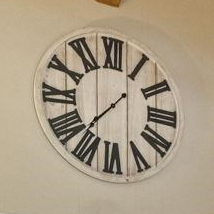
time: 1:37
